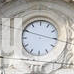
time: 3:49
